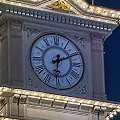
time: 6:10
